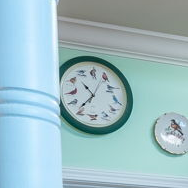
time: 10:36
